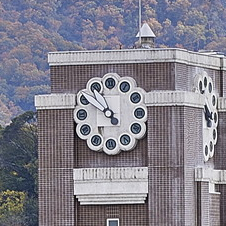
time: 10:50
